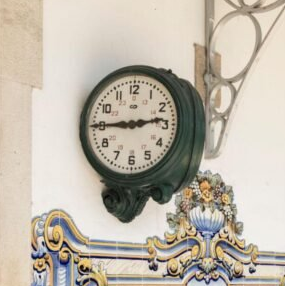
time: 2:45
